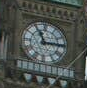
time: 11:14
